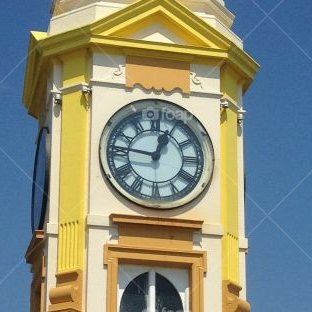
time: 12:46
